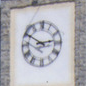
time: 2:50
